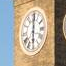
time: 6:00
